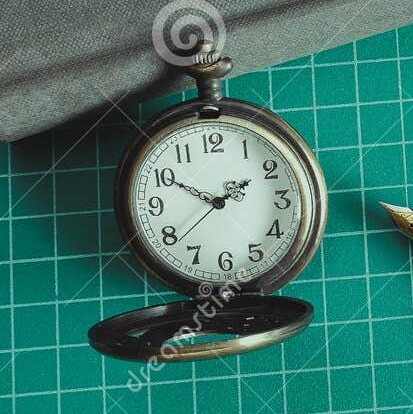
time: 1:50
